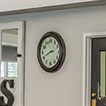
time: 2:40
